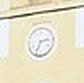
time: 2:33
